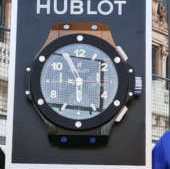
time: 5:55
